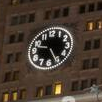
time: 9:25
